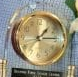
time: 1:13
